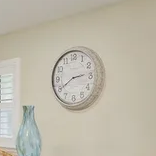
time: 2:40
